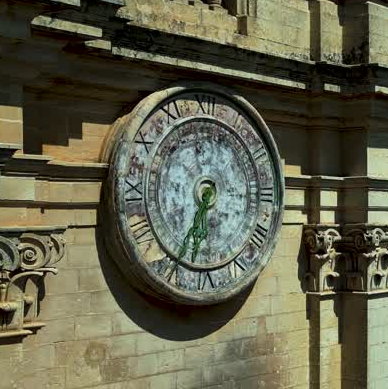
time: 6:34
